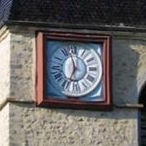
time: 6:58
